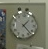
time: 1:22
